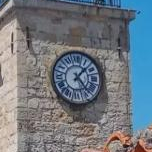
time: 1:23
